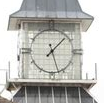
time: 1:26
